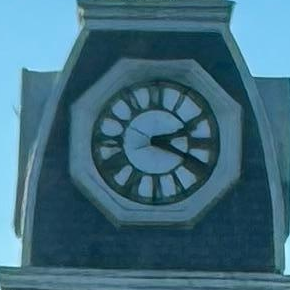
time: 2:18
